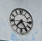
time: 7:24
